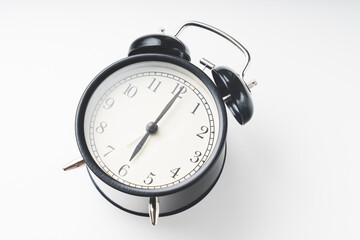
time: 7:06
